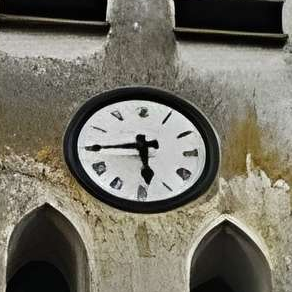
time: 5:44
